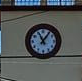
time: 11:06
